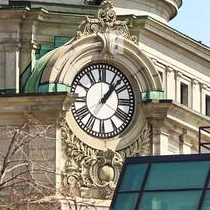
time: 1:07
